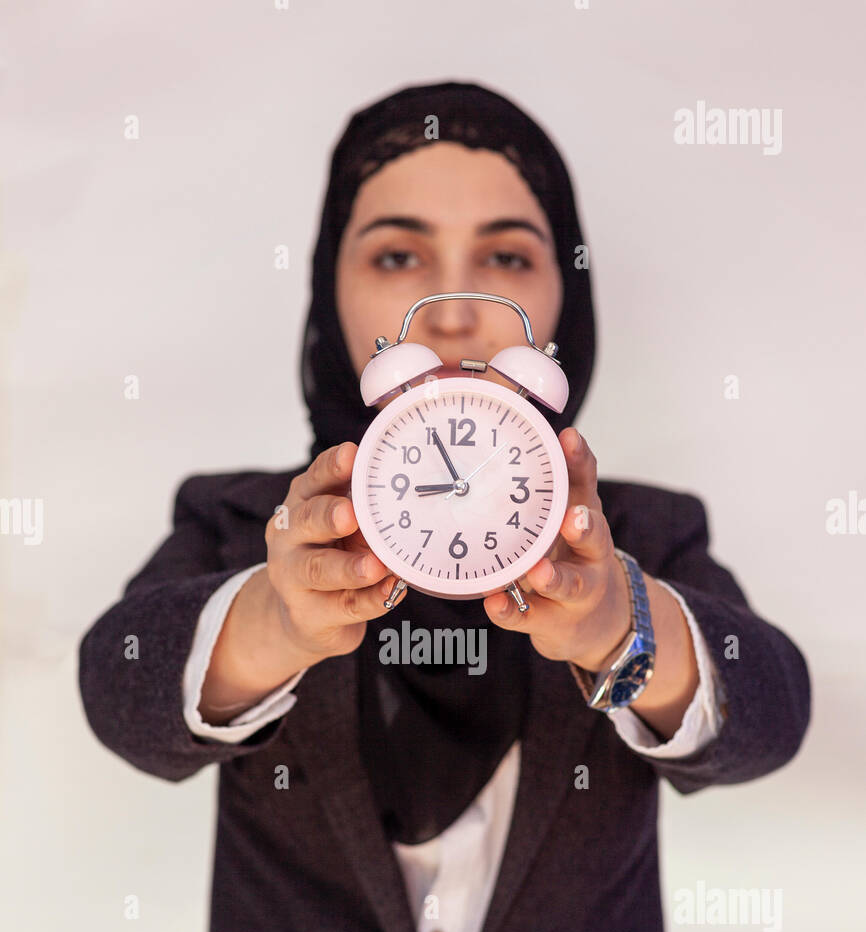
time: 8:55
